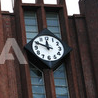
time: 11:48
